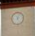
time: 5:03
